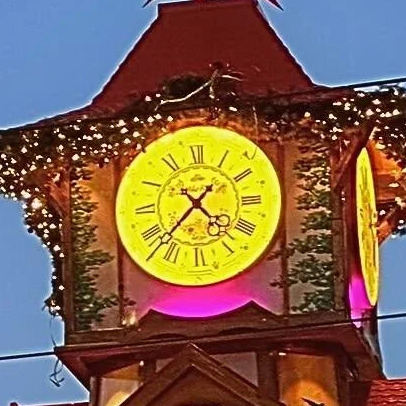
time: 4:37
